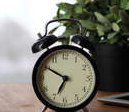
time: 6:50
